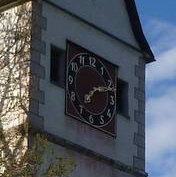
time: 7:11
